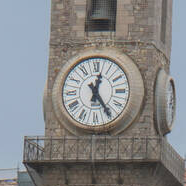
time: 12:24
